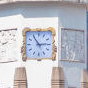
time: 2:54
